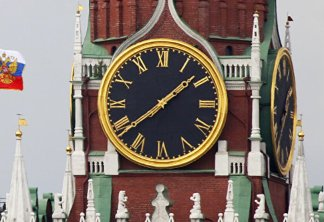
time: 1:38
